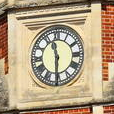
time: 11:30
